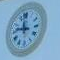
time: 11:46
